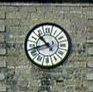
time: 10:42
